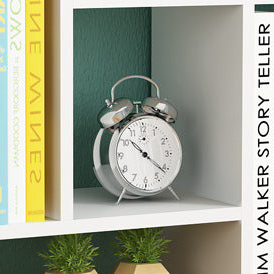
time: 10:21
